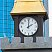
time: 2:00
